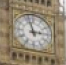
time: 2:57
